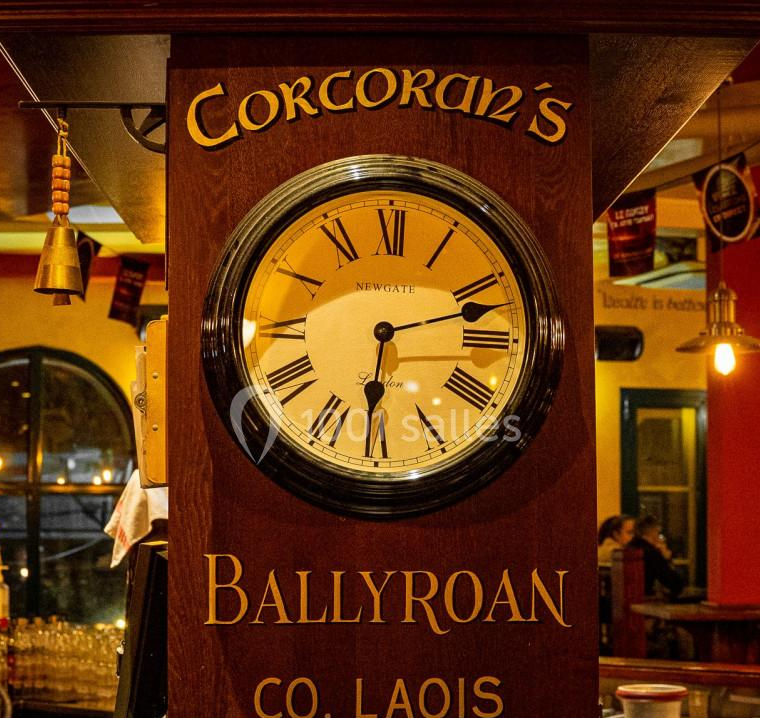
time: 6:12
